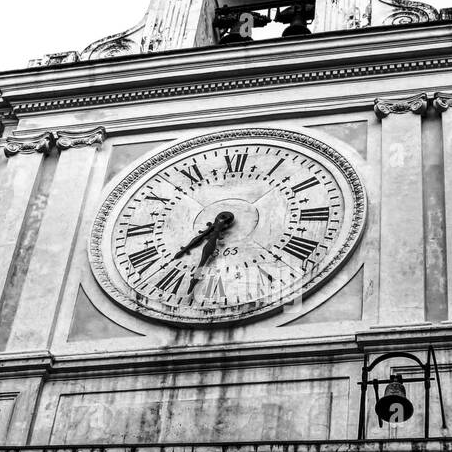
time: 7:32
